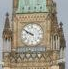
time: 9:50
